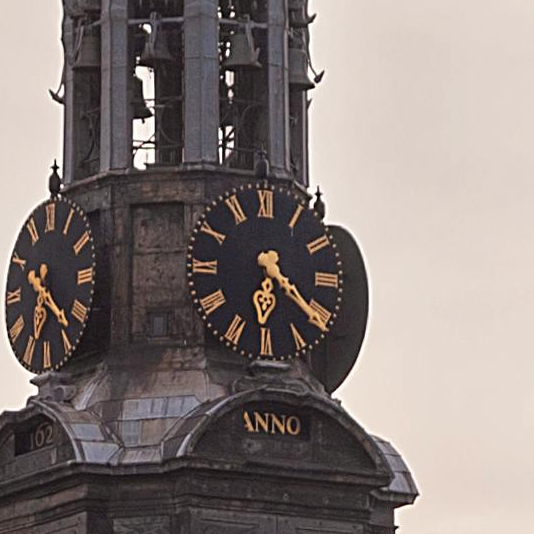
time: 6:20
